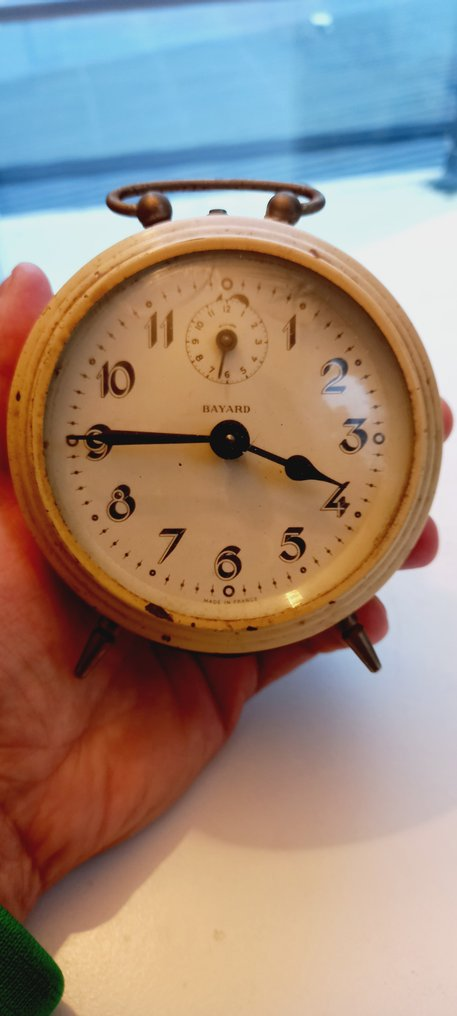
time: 3:45
